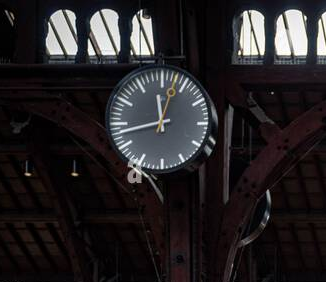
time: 11:43
